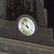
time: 9:57
